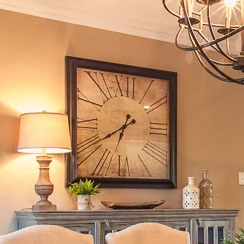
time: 6:39
